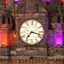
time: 7:17
